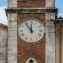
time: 11:53
